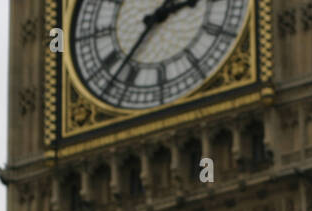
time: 2:36
